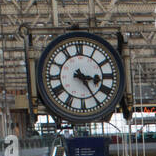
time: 3:24
